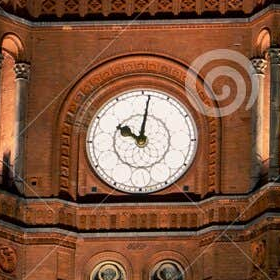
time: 10:01
